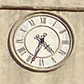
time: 4:33
